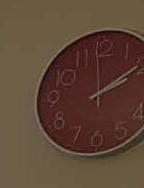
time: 2:09
